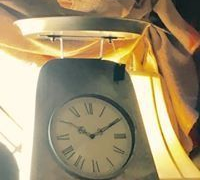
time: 10:10
